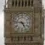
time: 4:46
